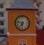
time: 6:47
